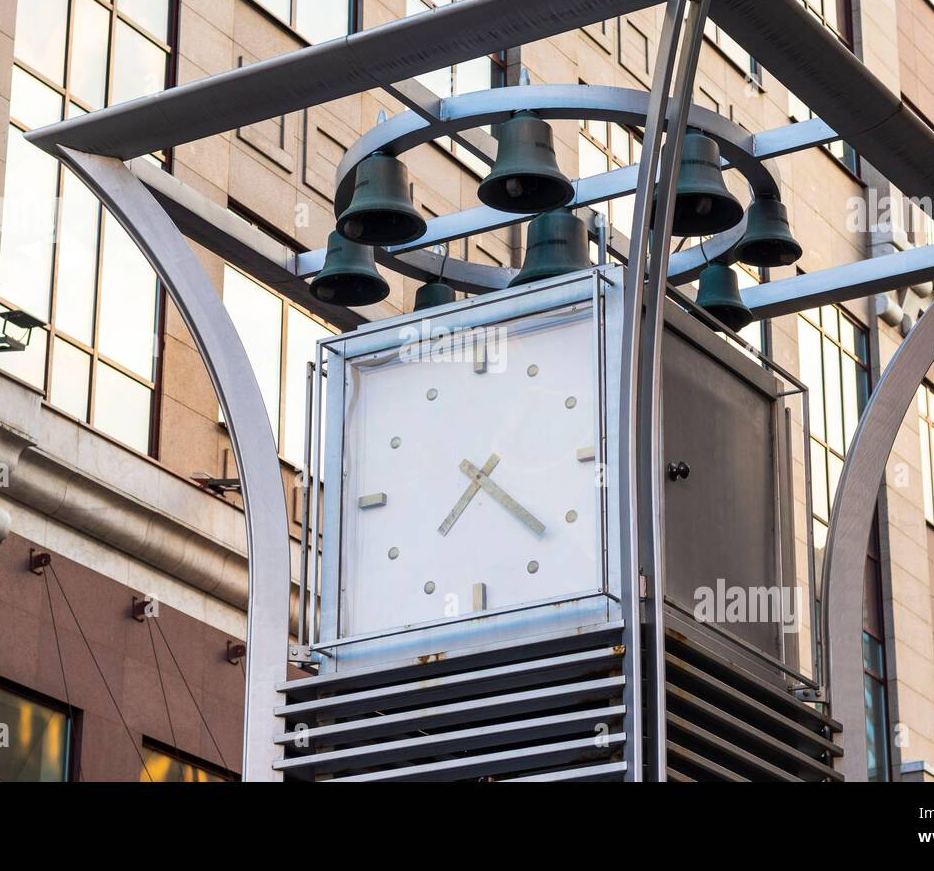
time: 7:21
